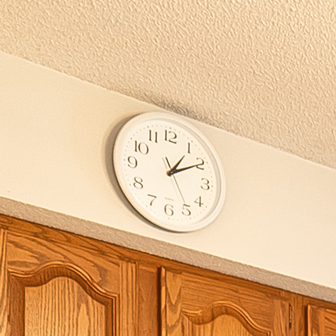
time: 1:09
